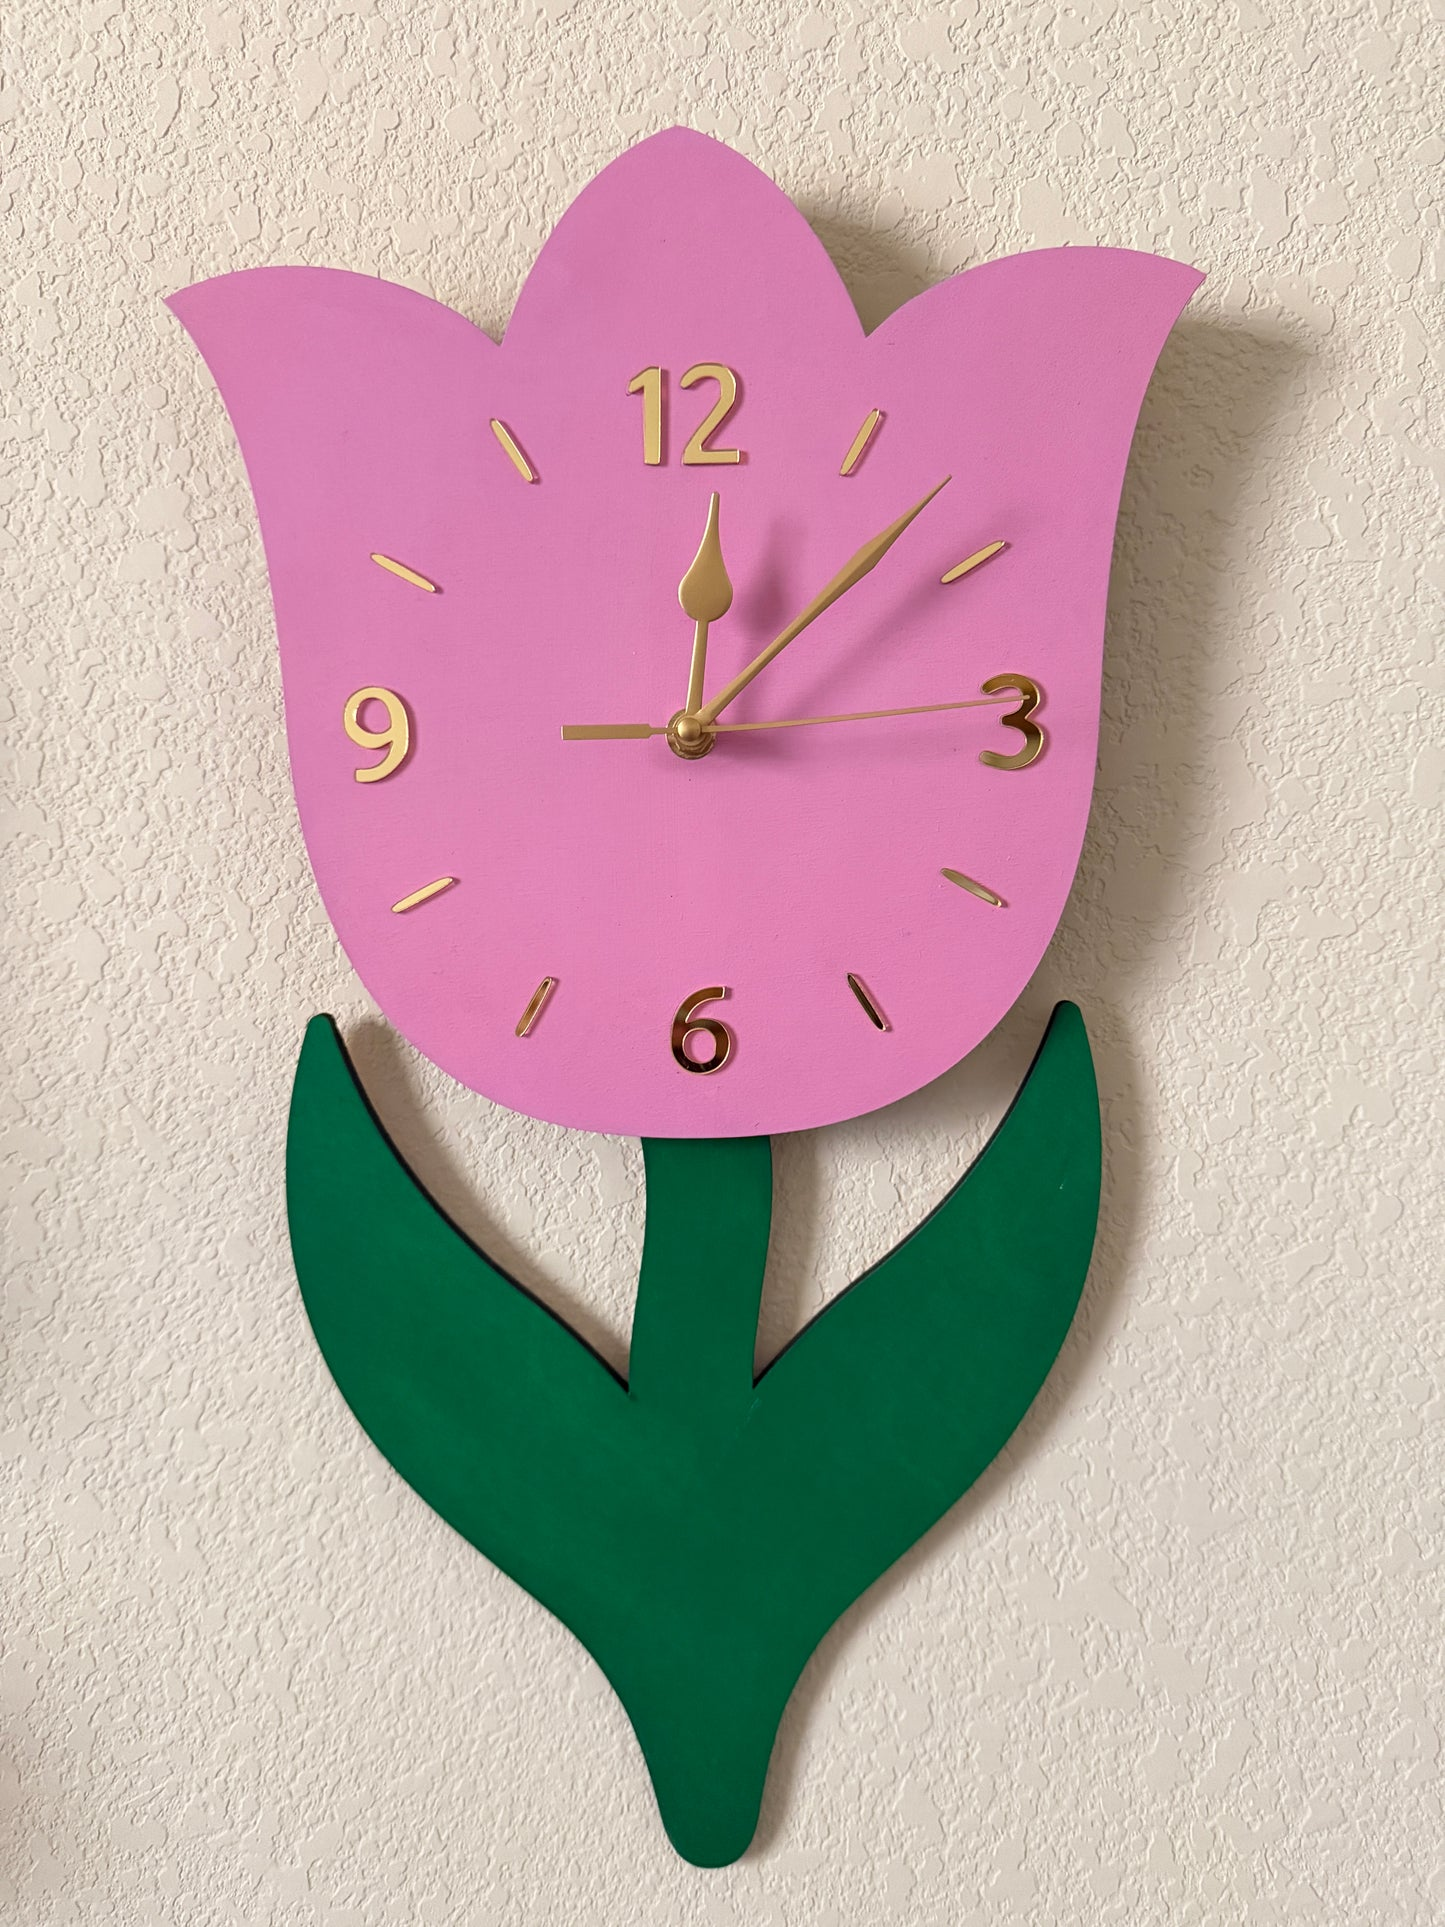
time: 12:08
